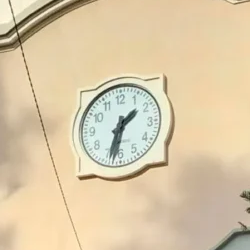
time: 1:32
